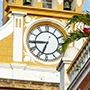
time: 6:44
